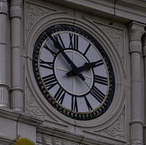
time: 1:52
